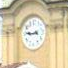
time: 8:45
